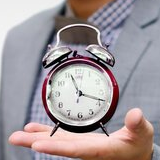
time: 11:18
